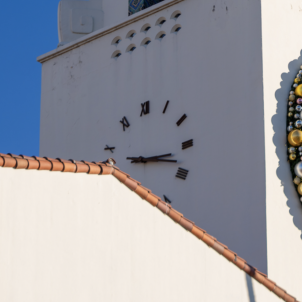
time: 3:18
